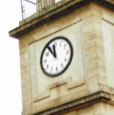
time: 11:54
